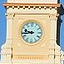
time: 9:43
